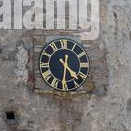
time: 4:31
